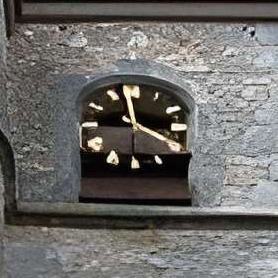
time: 3:58
